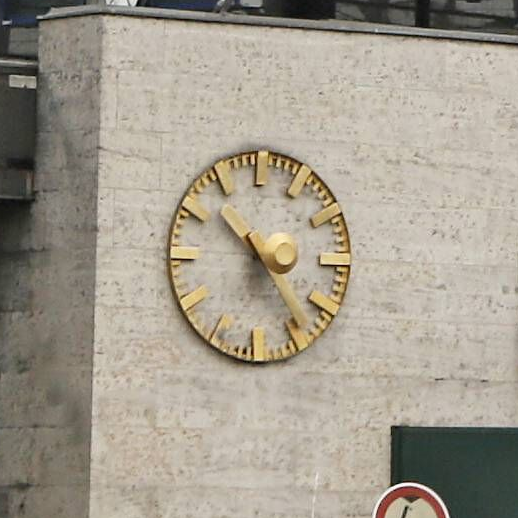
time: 10:23
